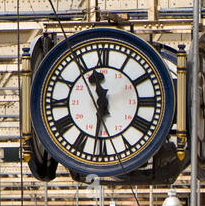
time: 11:31
